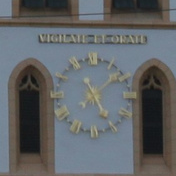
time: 5:08
